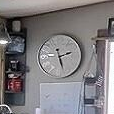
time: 2:27
